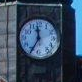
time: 11:34
